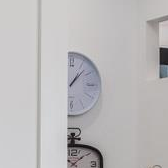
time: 1:07
